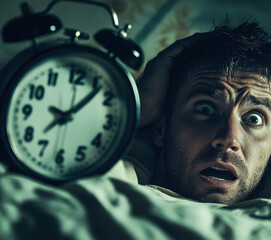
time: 10:07
